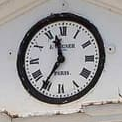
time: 11:35
